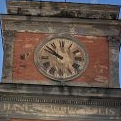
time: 9:51
